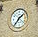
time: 1:36
